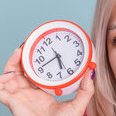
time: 5:41
